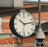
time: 10:13
